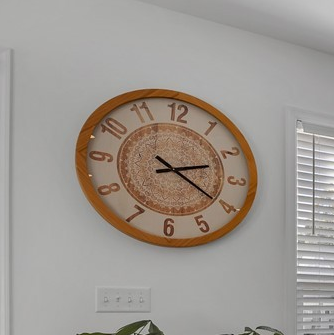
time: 2:20
